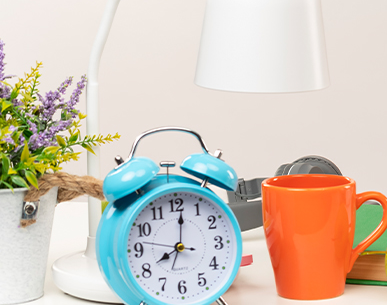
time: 8:01
